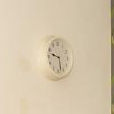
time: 9:28
